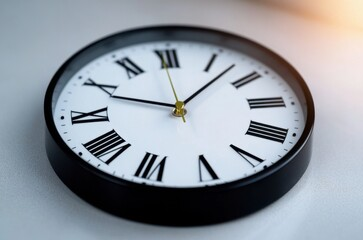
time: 9:07
